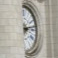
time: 3:13
